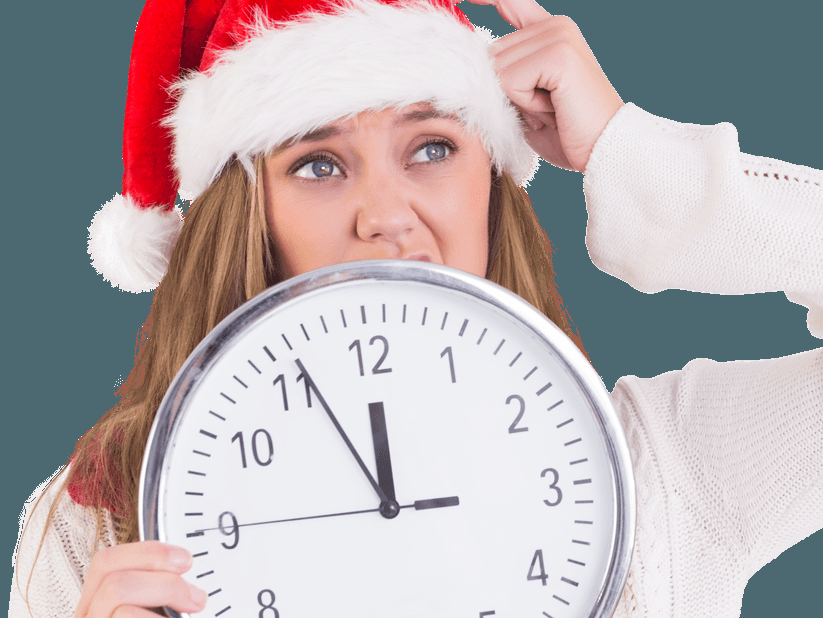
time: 11:55
